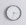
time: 3:32
